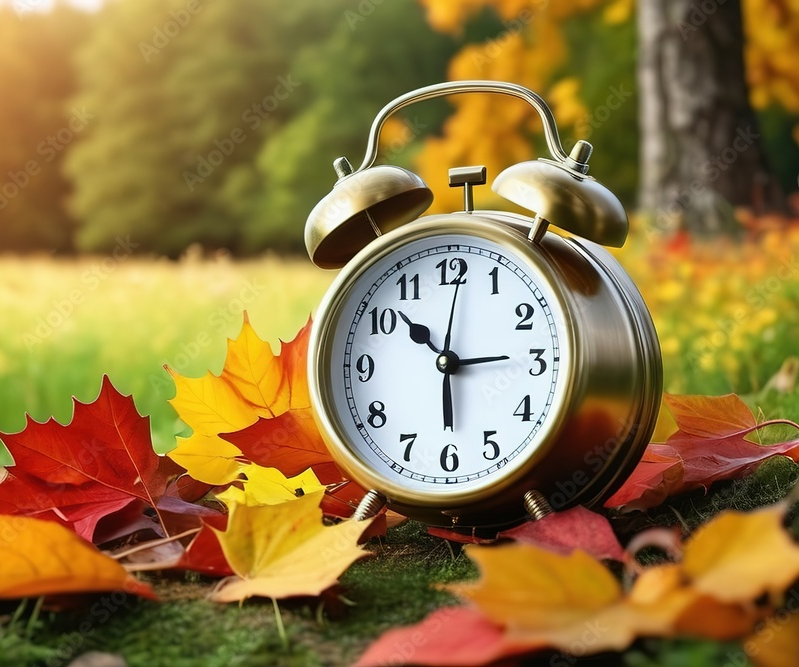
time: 2:52
